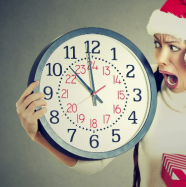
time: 11:52
